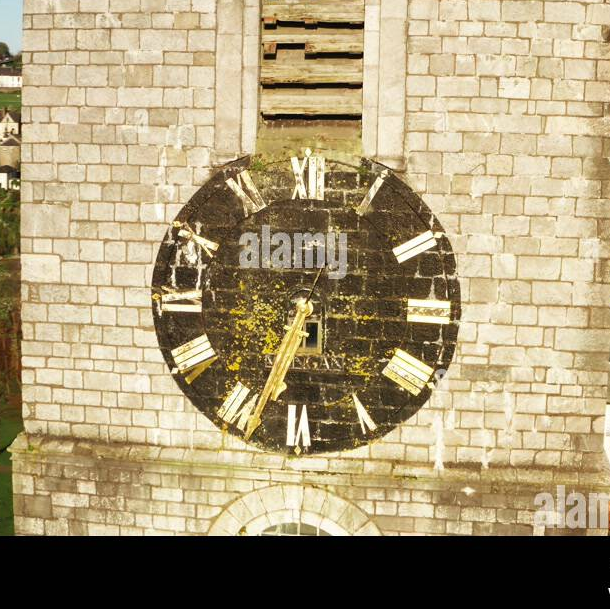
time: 6:33
